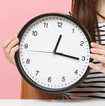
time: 12:15
